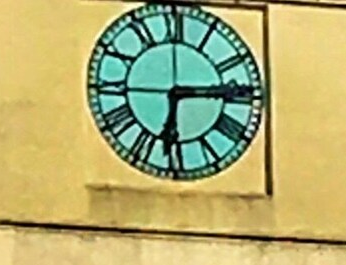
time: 6:14
